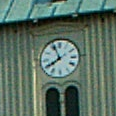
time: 7:55
